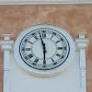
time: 11:30
